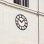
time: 10:07
